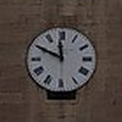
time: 11:49
